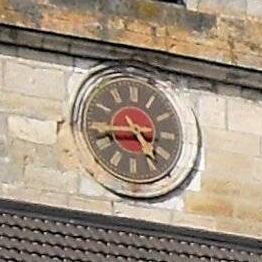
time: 4:42
